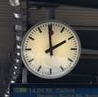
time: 1:59
